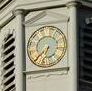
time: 6:38
